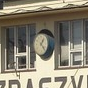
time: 1:22
